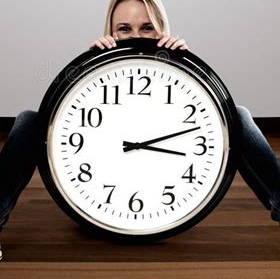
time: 3:12
